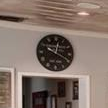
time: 12:19
